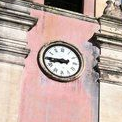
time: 8:45
